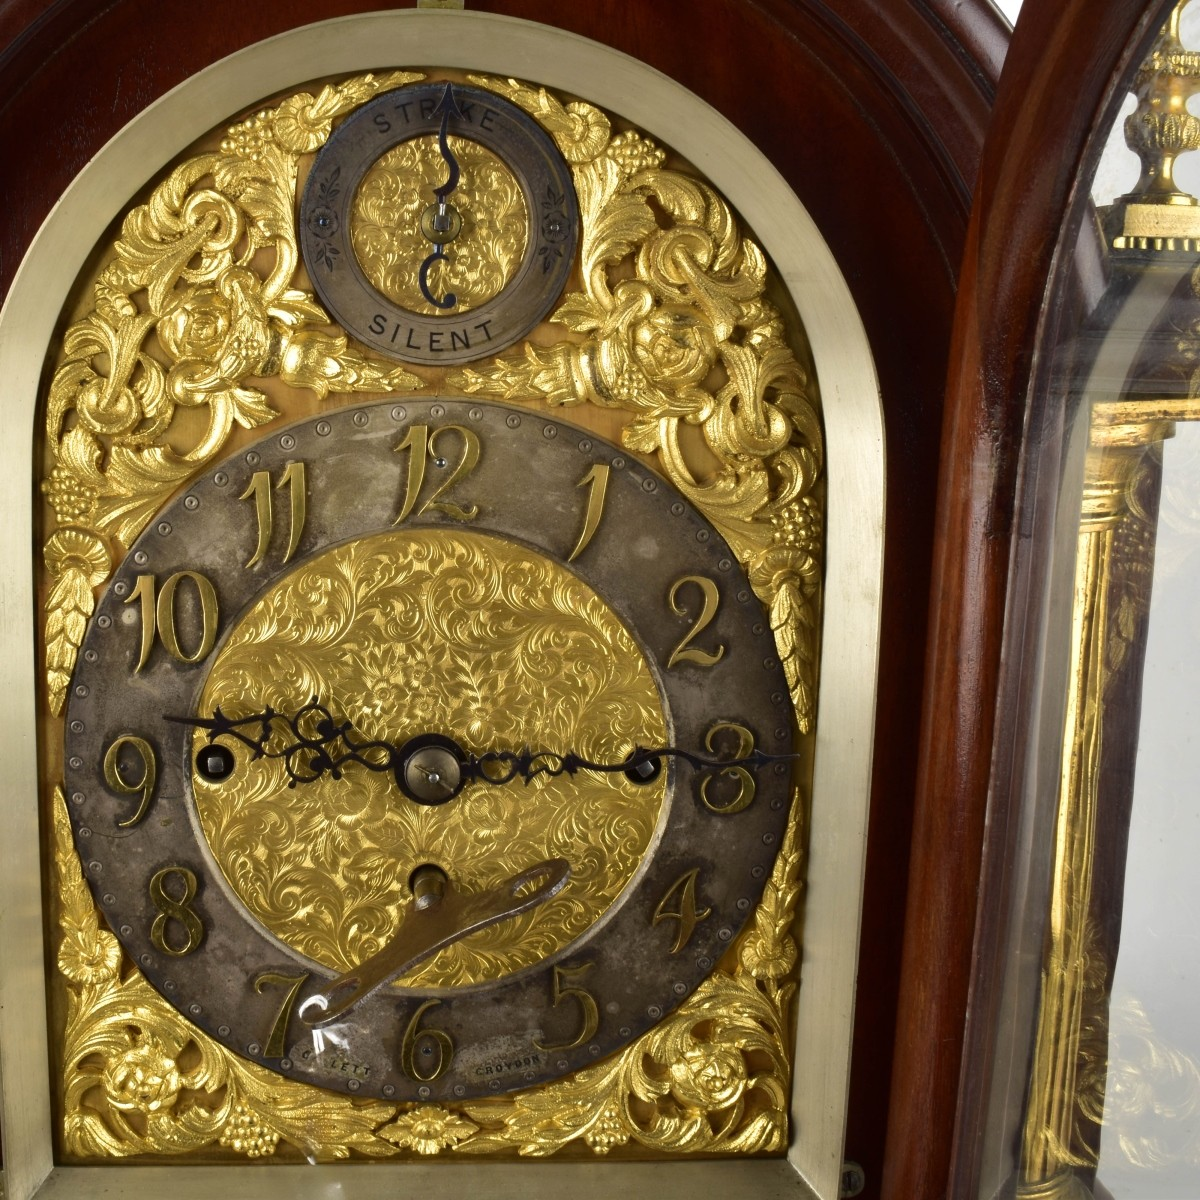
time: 9:15
